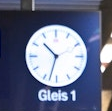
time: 10:32
